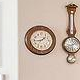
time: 1:43
